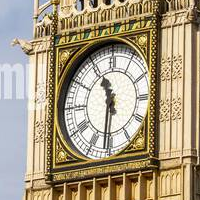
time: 11:31
